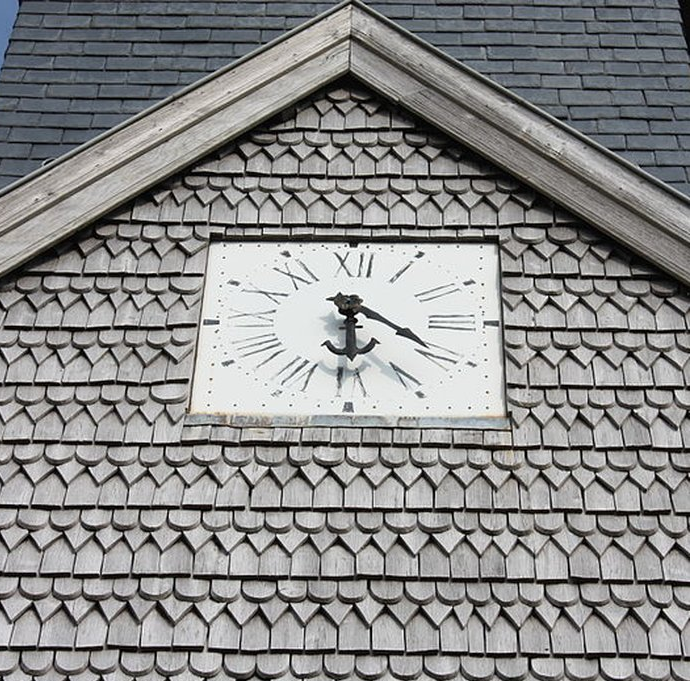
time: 6:20
